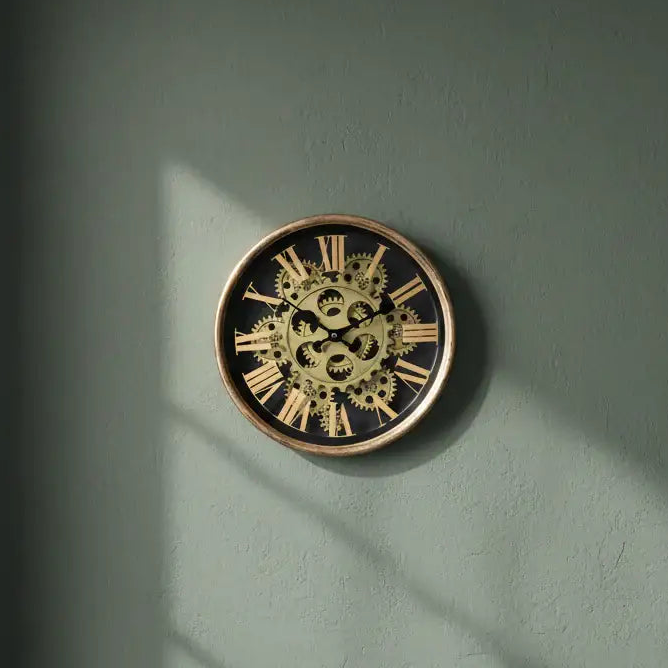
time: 1:50
